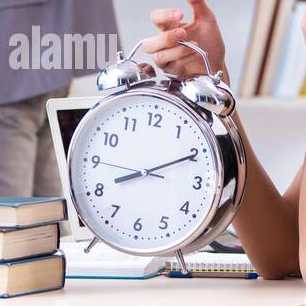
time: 8:10
